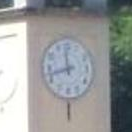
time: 11:42
